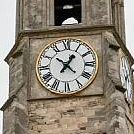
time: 12:52
